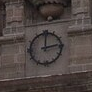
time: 12:13
